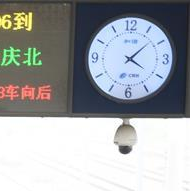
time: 4:07
